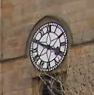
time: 3:48
